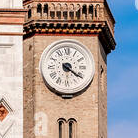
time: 4:20
